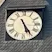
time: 5:24
